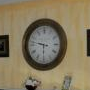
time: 9:30
